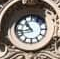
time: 10:43
